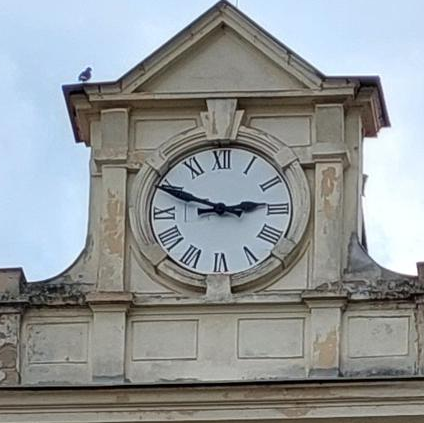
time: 2:48
